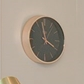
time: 3:58
